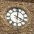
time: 4:01
